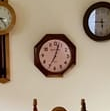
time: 12:34
